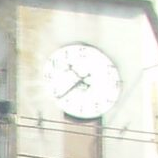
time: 10:37
